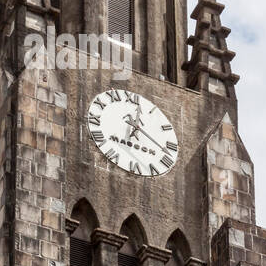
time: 4:02
